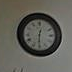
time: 12:30
